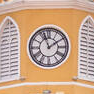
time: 1:56
